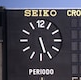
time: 5:26
